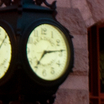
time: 7:14
